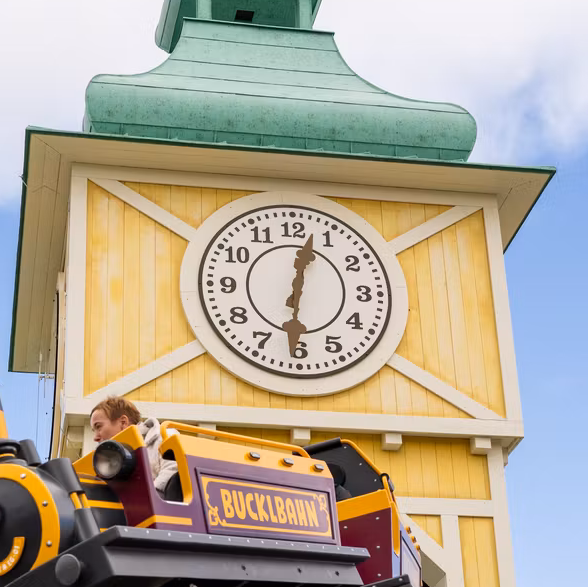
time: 12:30
